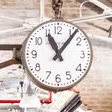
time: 11:06
